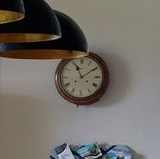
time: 11:09
